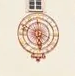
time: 5:59
